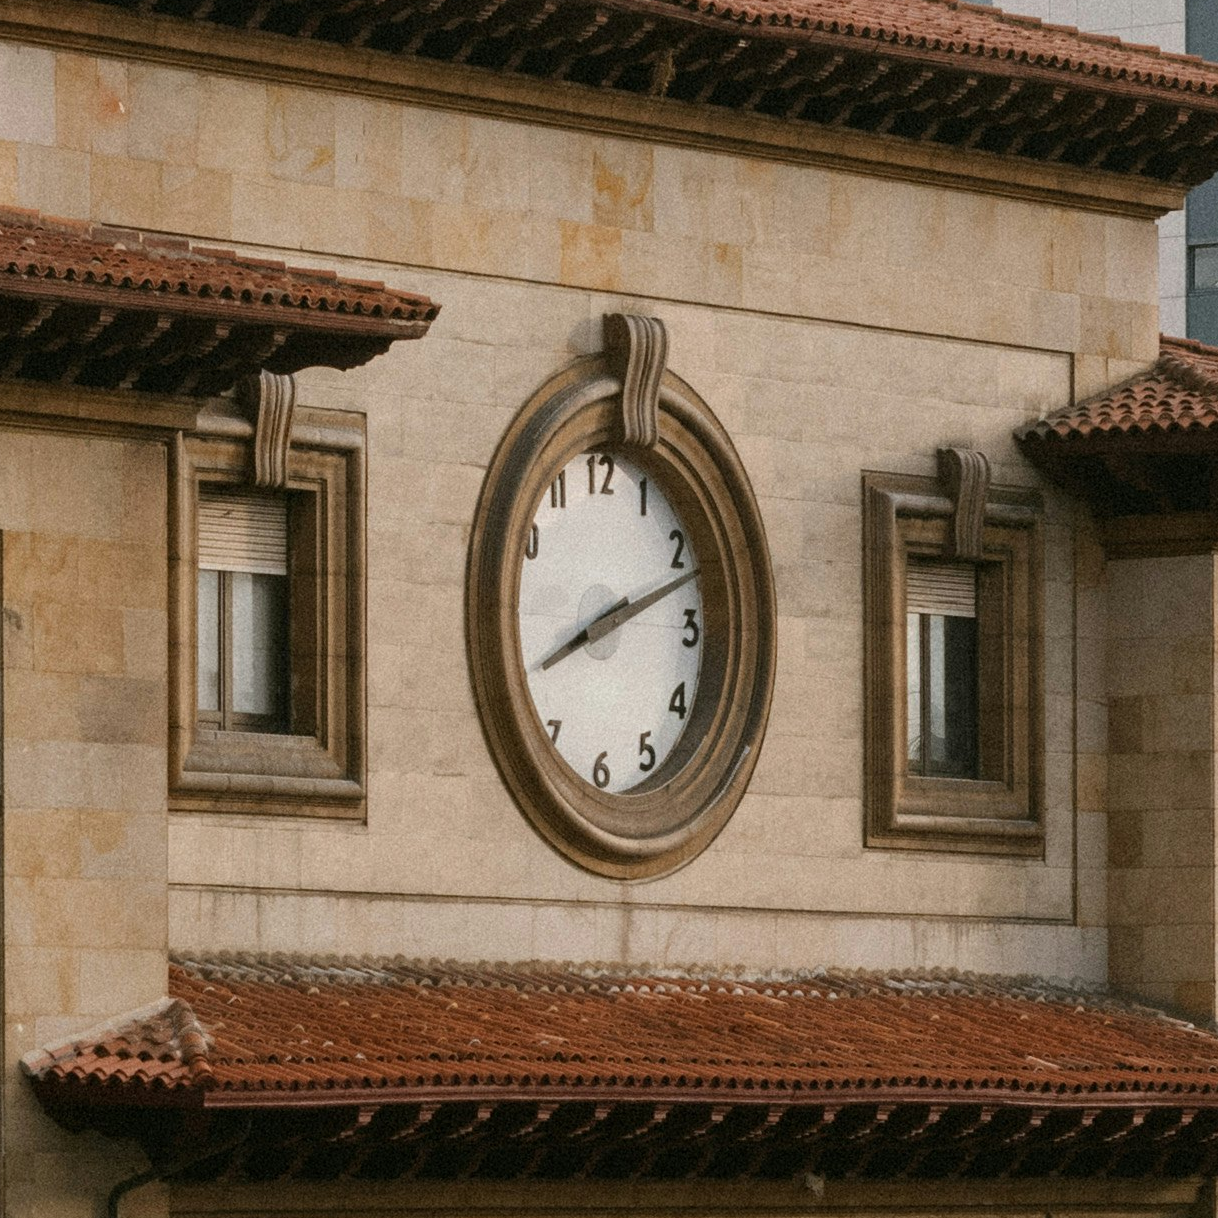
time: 8:12
